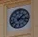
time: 1:16
